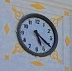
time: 5:20
